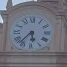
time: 5:36
